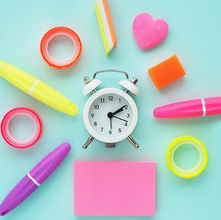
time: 2:09
